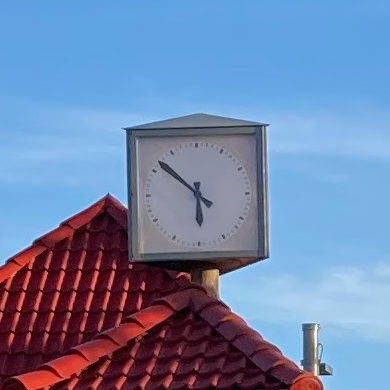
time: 5:51
